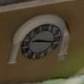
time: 9:17
